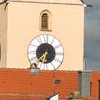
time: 6:37
